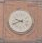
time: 9:41
